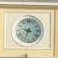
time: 9:33
